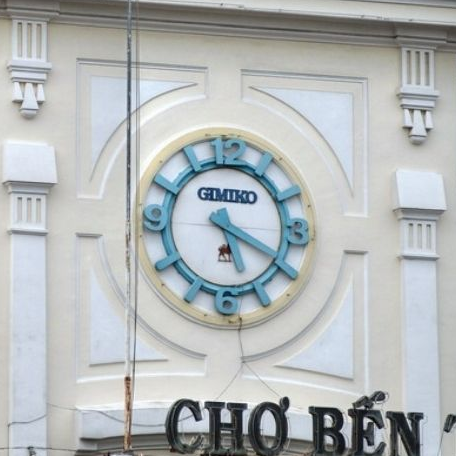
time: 5:19
